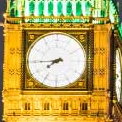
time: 7:44
